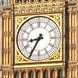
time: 8:35
